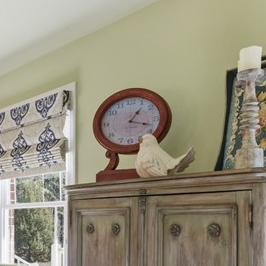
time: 1:18
